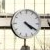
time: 4:19
